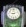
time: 9:12
